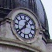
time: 12:37
